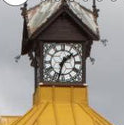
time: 1:32
